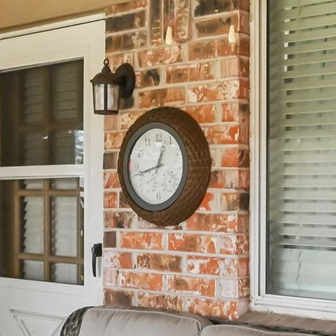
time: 12:42
